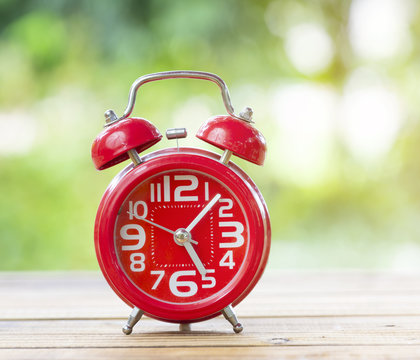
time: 5:07
